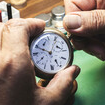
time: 12:49
